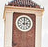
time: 3:00
